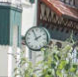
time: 1:56
